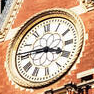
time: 3:46
